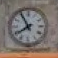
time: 7:54
